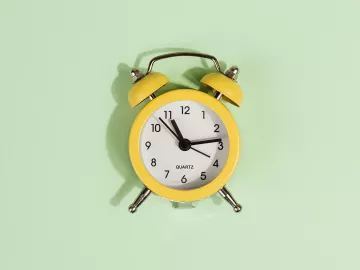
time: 11:13
